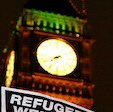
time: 7:41
